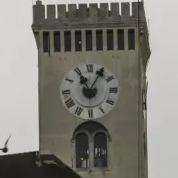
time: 11:05
